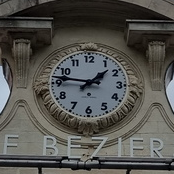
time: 1:46
